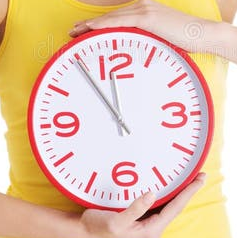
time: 11:54
